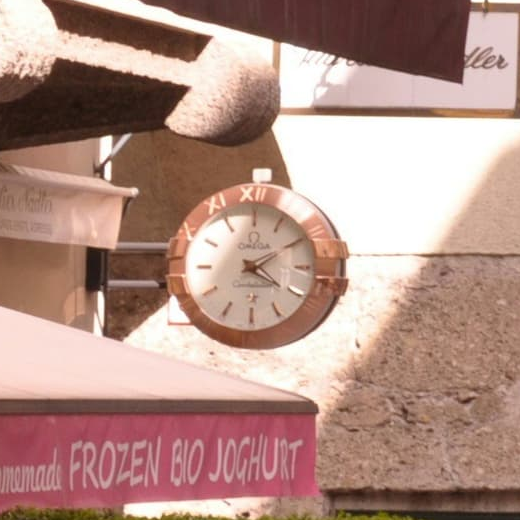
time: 4:09
